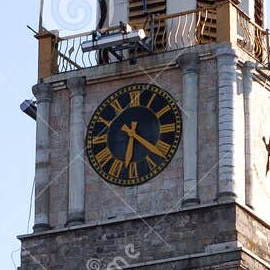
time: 6:21
